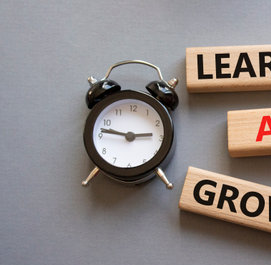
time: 2:46
